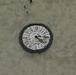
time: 4:14
